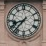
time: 8:36
